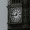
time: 12:43
